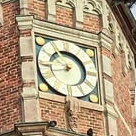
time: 10:42
